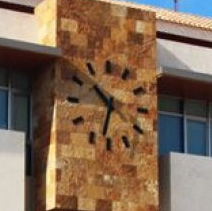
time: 10:32
